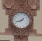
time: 1:42
